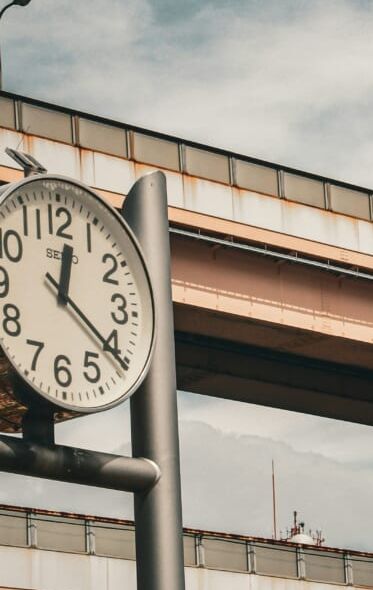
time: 12:20
